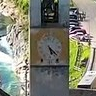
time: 5:22
